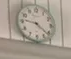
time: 9:21
